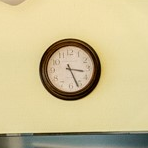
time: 3:26
